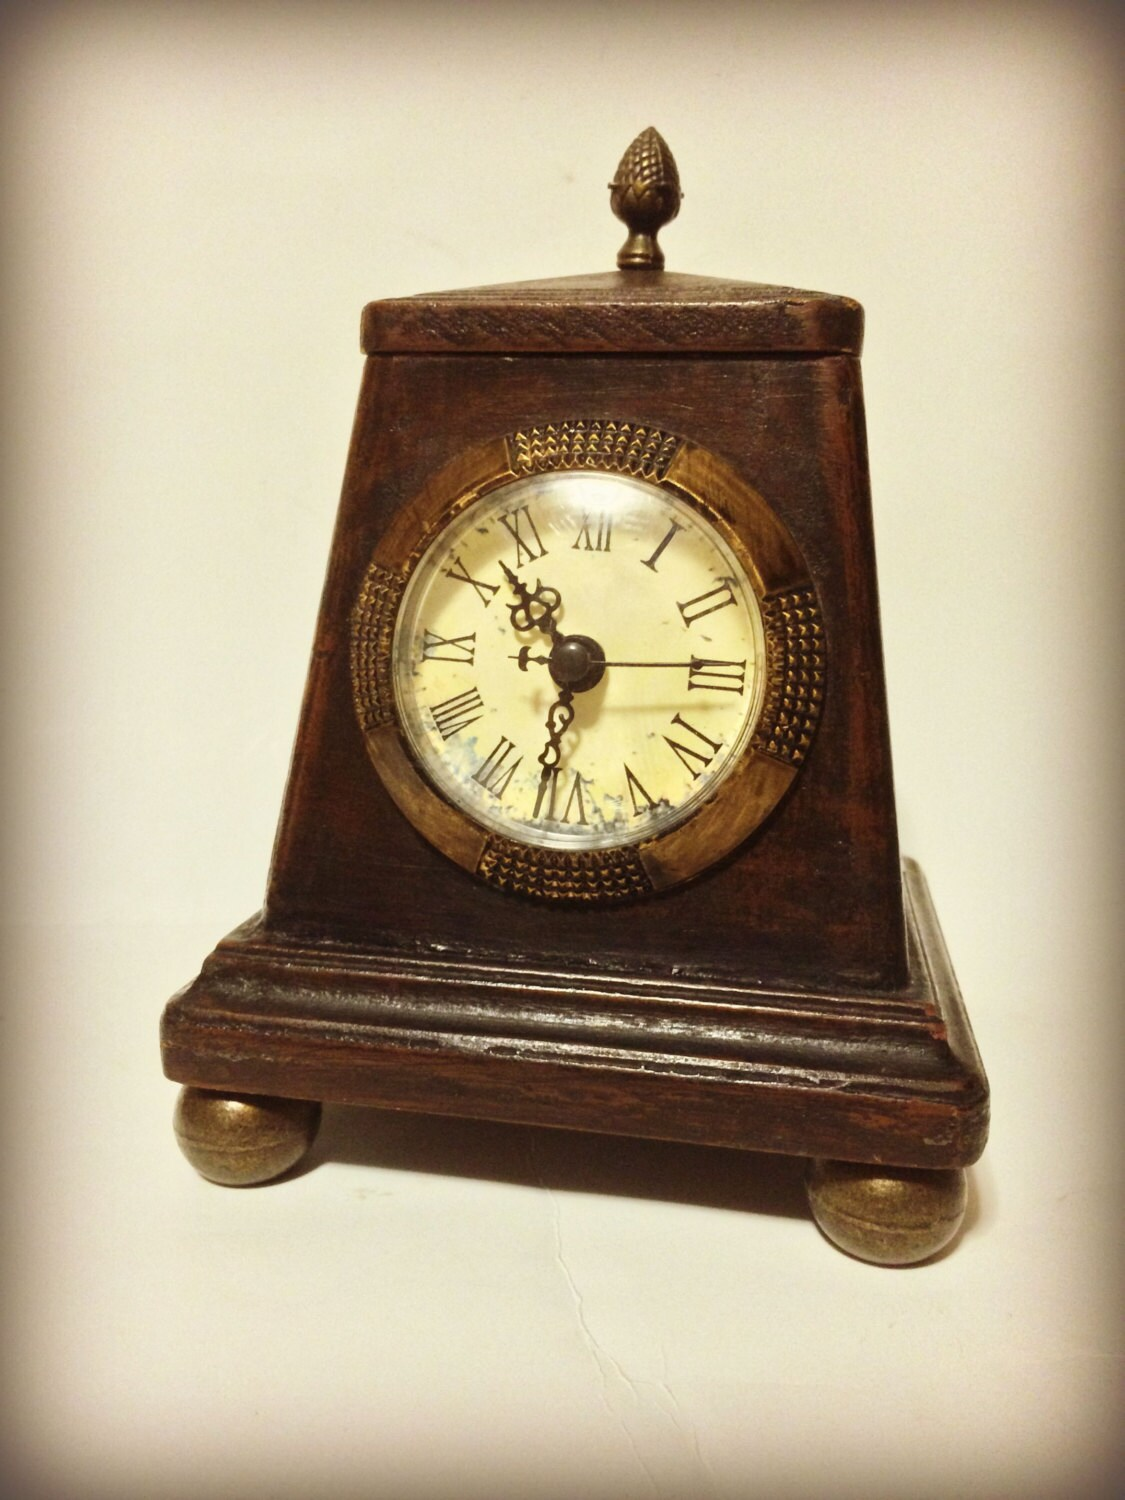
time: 10:32
